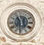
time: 7:30
